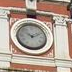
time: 10:10
